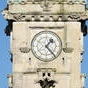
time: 1:22
